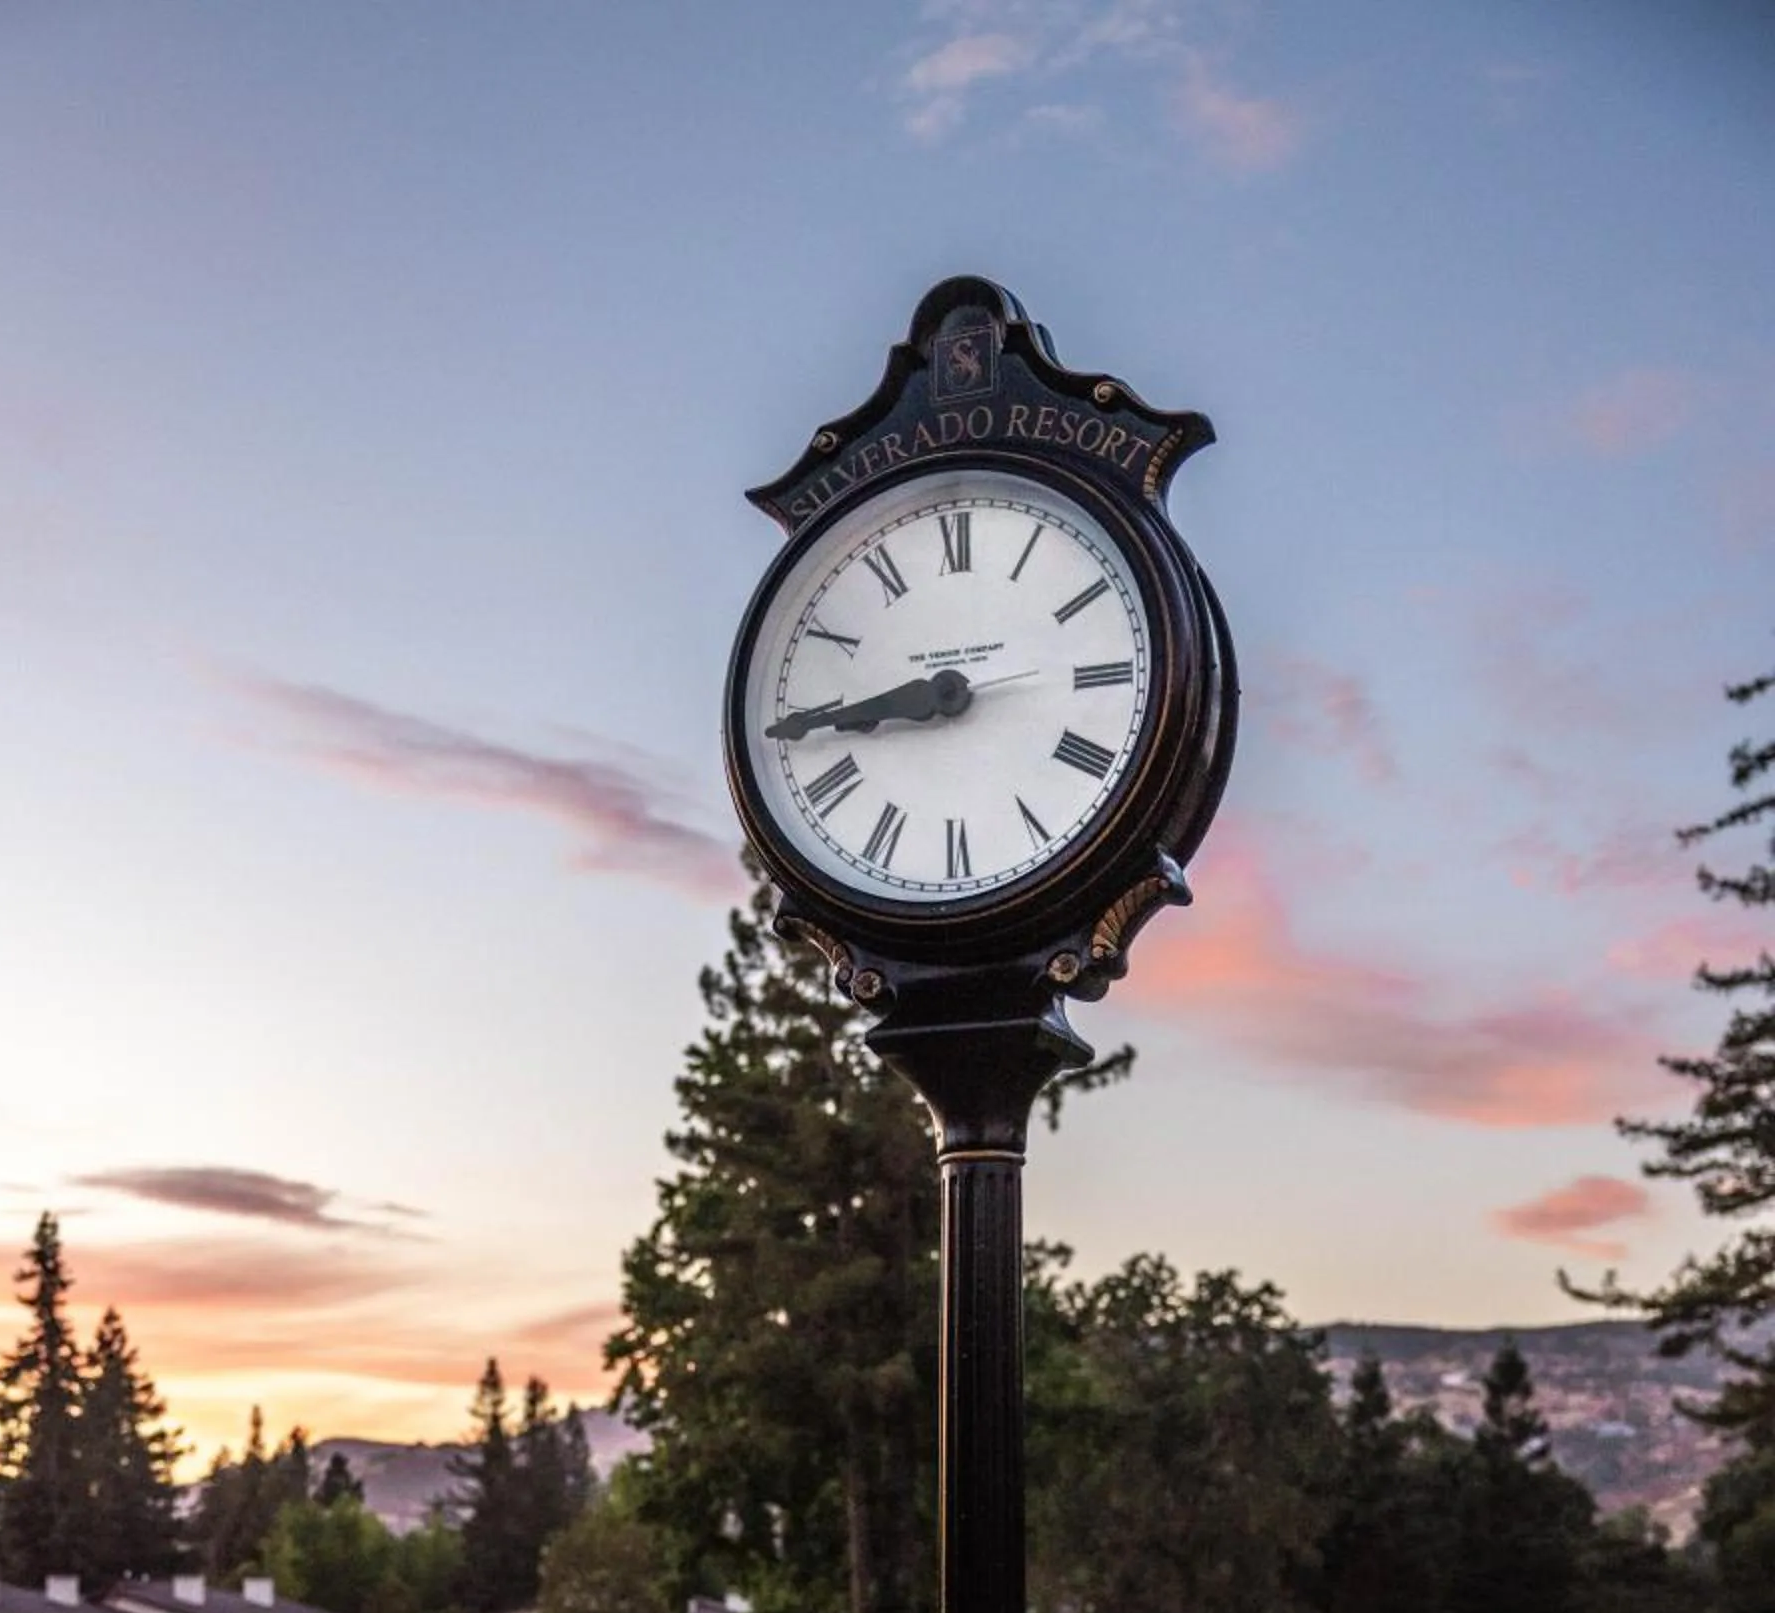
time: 8:44
